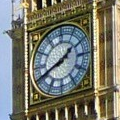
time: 1:41
